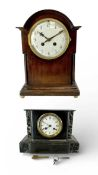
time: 10:10
